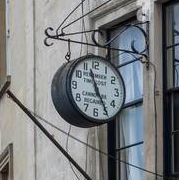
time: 11:24
